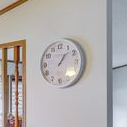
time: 1:07
